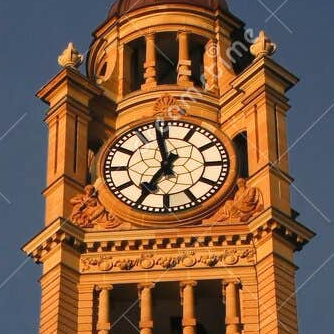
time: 6:58
